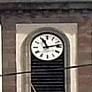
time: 11:13
